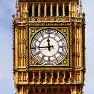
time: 11:44
